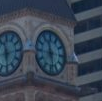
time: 11:28
